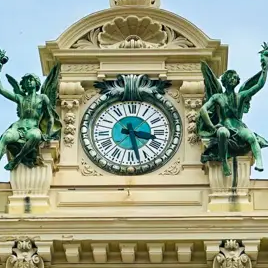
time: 3:27
